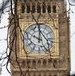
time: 10:00
